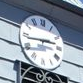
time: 2:43
